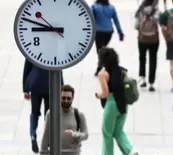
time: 8:47
